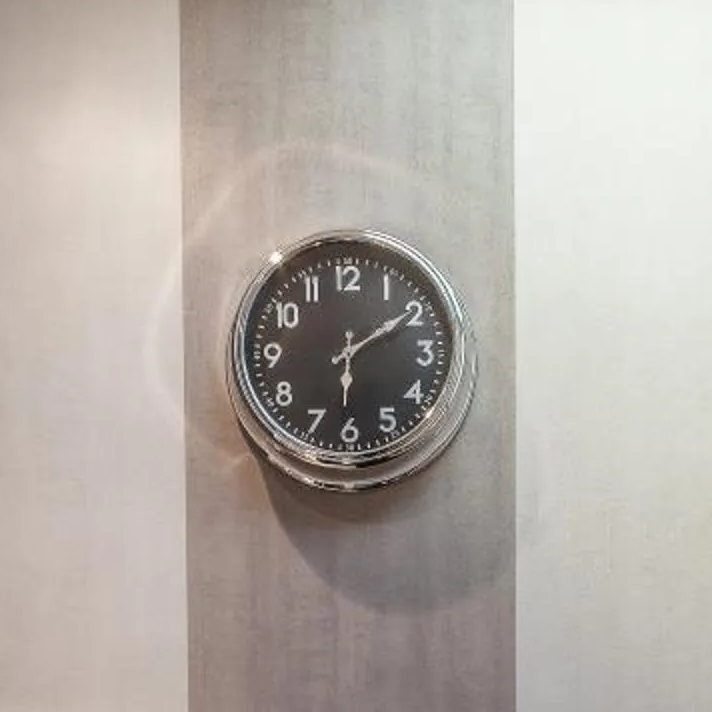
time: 6:09
